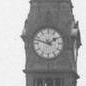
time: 1:47
